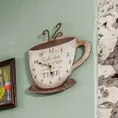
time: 5:49
